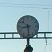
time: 8:29
